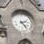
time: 2:23
